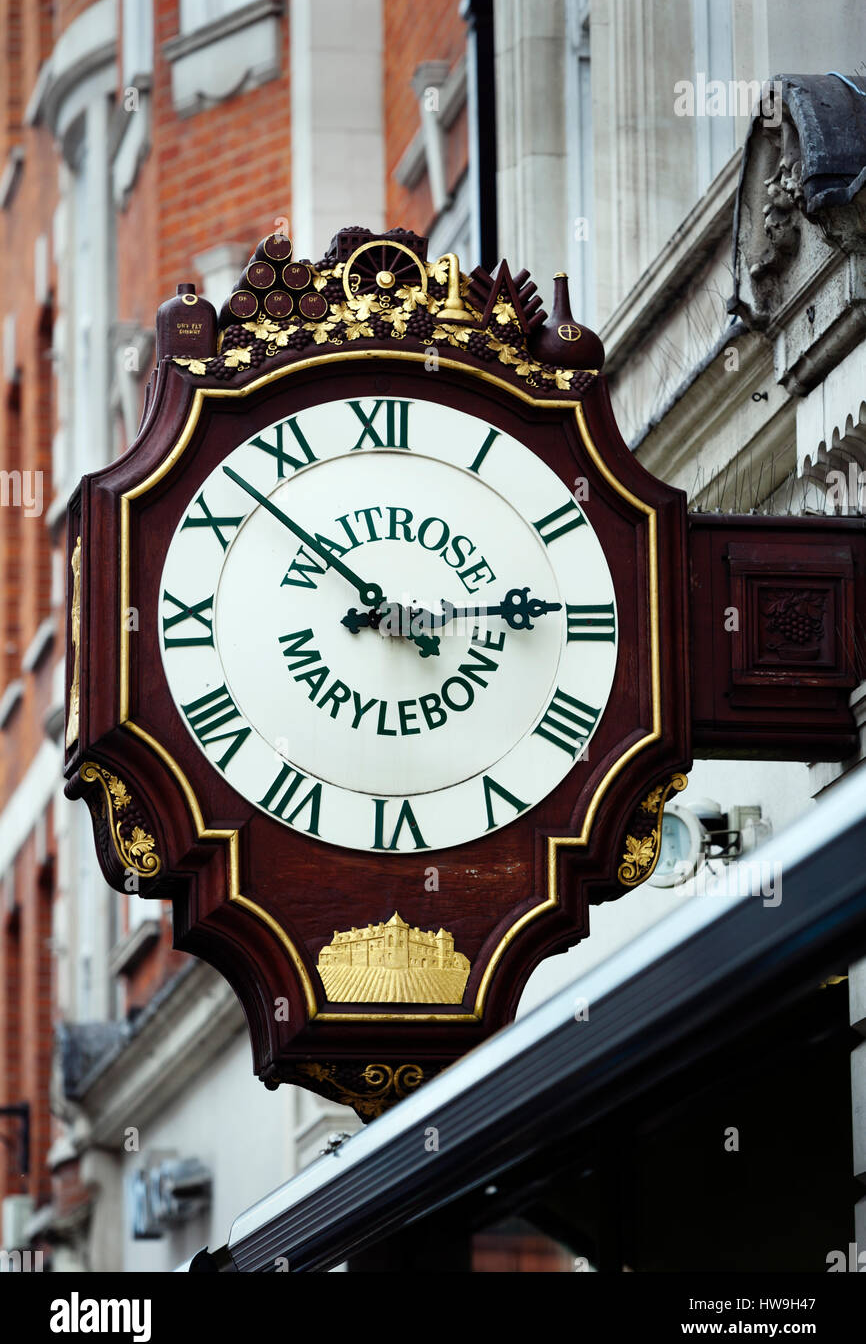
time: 2:52
